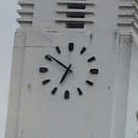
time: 6:50
